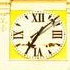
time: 7:07
